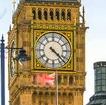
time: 4:22
